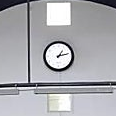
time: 1:13
